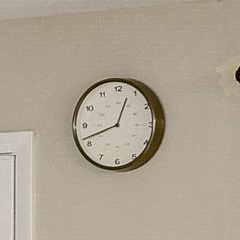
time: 12:41
